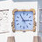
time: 2:54
